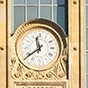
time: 11:38
